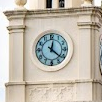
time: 12:21
